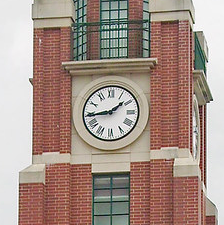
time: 1:44
